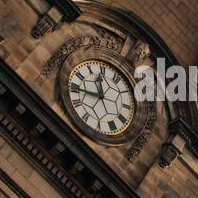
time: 11:44
